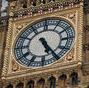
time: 5:24
